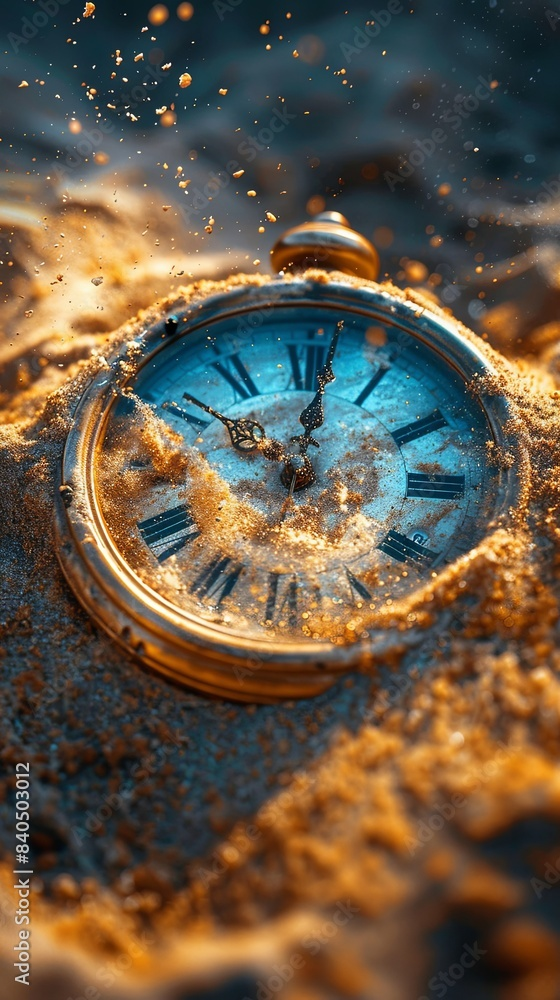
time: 10:01
